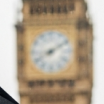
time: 8:09
